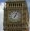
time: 7:04
